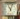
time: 11:02
